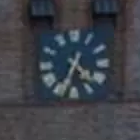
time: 4:34
